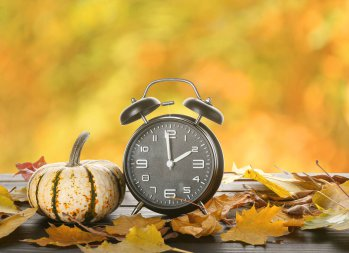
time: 1:59
